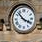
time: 3:52
